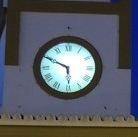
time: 5:49
